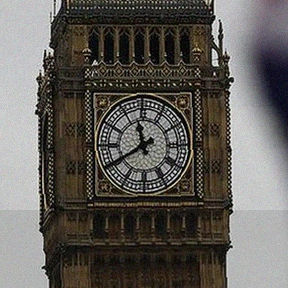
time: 11:40
